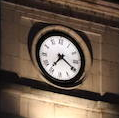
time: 7:19
